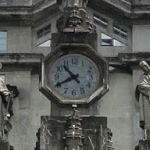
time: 10:40
